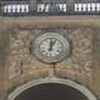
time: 12:04
